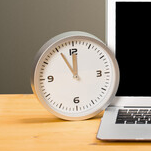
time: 11:55
